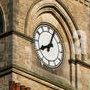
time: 8:04
